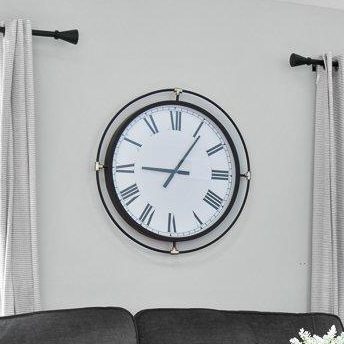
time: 9:05
